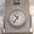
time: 10:36
